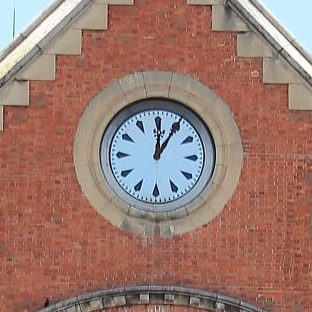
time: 12:05
